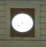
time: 7:37
